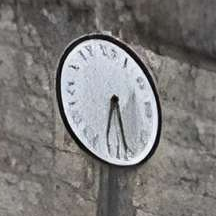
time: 6:27
